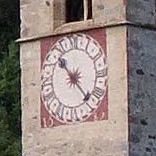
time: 10:22
